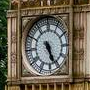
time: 5:26
